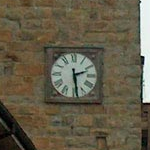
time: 2:28
